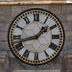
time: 1:42
